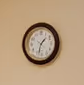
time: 1:32
